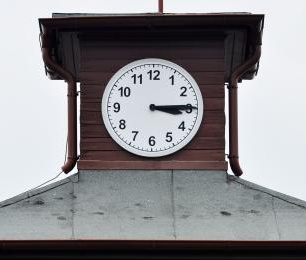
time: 3:14
